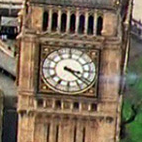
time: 3:21
